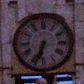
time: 6:34
